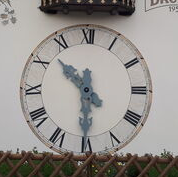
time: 10:30
